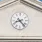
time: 8:23
